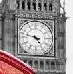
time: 4:47
